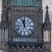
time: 11:57
